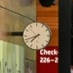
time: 7:41
